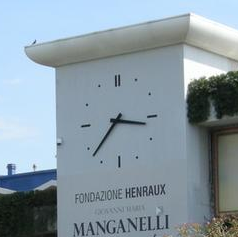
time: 3:37
